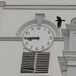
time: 8:45
